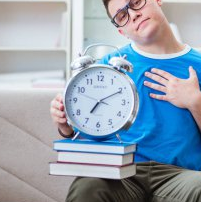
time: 7:10
